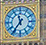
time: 11:36
